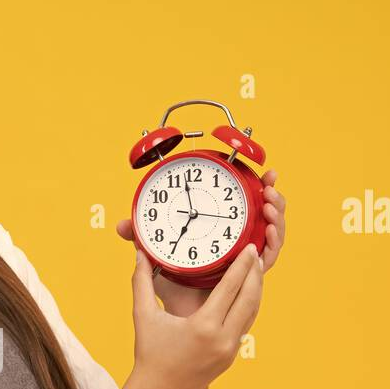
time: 6:58
